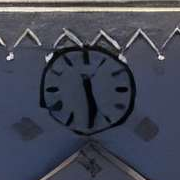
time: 5:29
